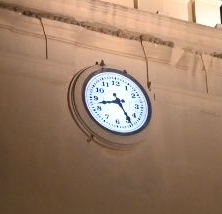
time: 8:24
